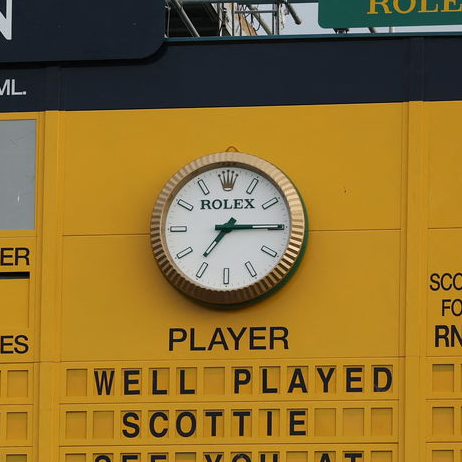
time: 7:14
